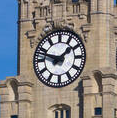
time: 1:47
